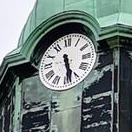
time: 5:28
